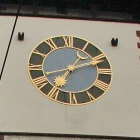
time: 7:11
